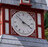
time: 3:52
